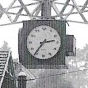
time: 2:36
